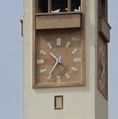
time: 10:36
